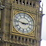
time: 2:46
